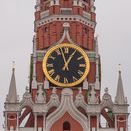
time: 12:57
